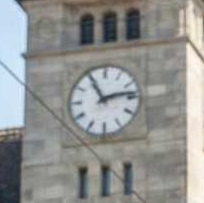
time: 11:13
